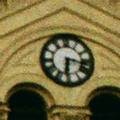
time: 6:17
